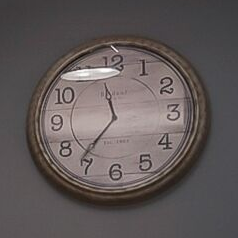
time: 11:36
